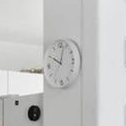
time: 10:02
